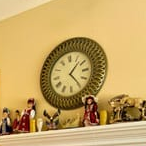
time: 1:23
